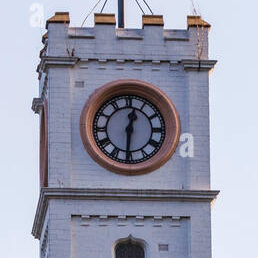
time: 12:30
